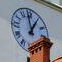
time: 12:58
